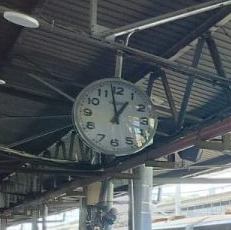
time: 12:58
